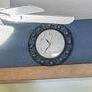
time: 10:36
